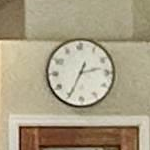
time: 2:34
